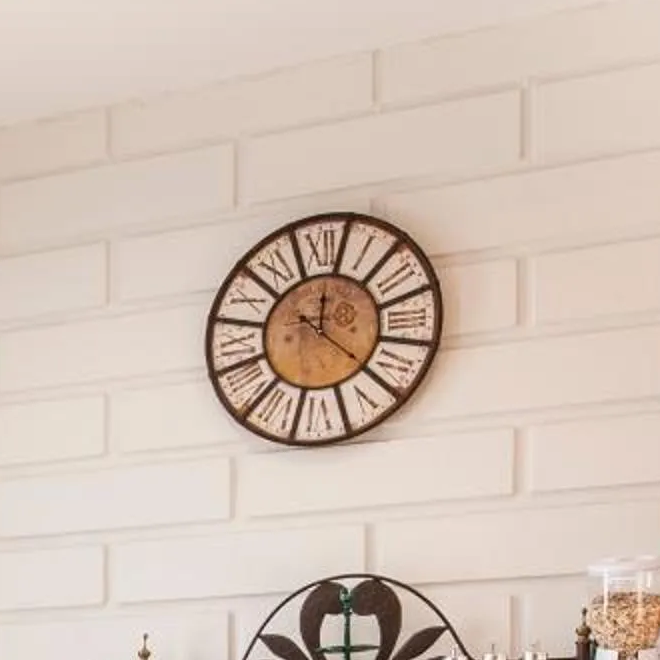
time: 12:22
